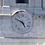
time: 4:49
